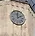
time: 2:00
